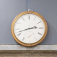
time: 2:42
